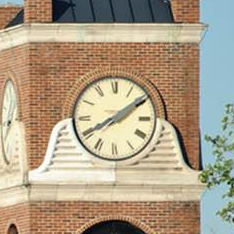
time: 8:09
